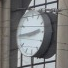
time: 2:45
